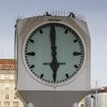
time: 5:59
